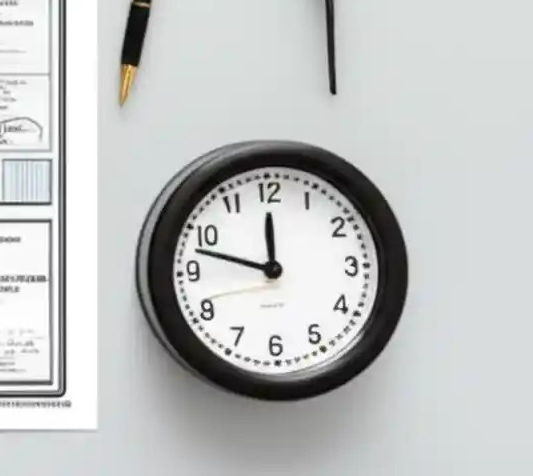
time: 11:47
